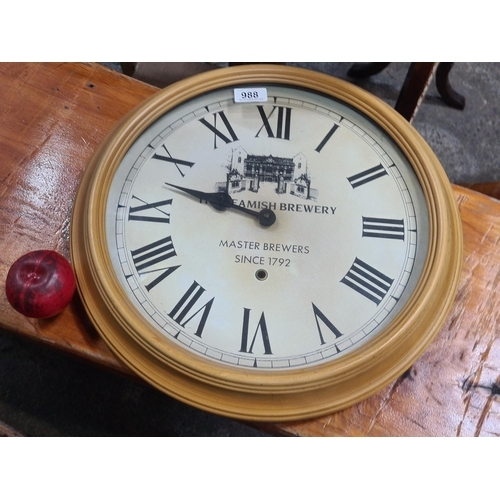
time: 9:47
